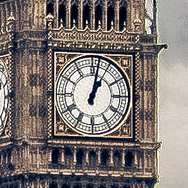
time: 1:02
